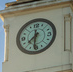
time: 7:31
